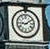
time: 9:09
